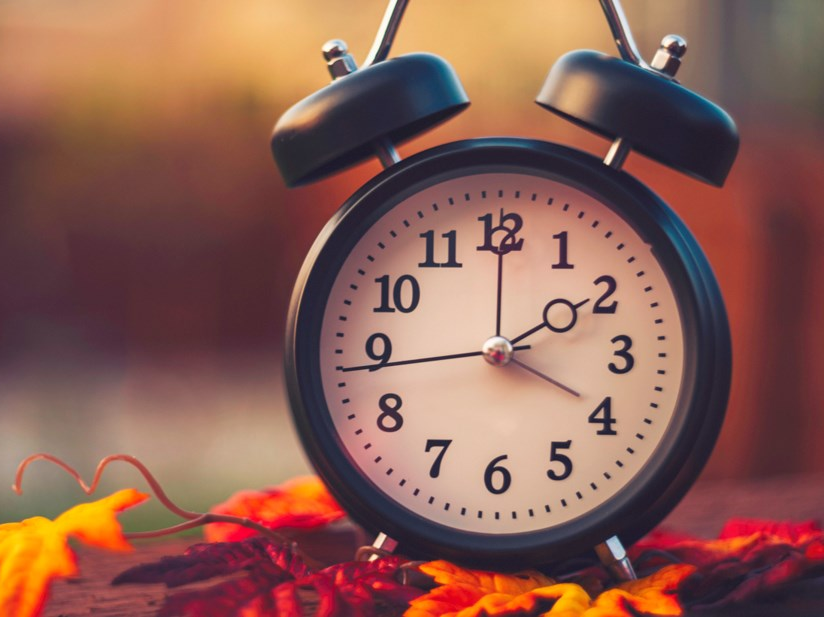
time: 2:00
